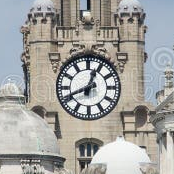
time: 12:41
